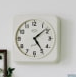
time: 5:08
